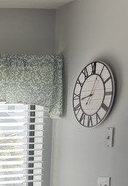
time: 12:42
